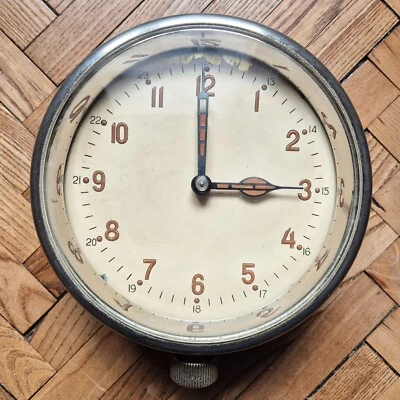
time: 2:59
